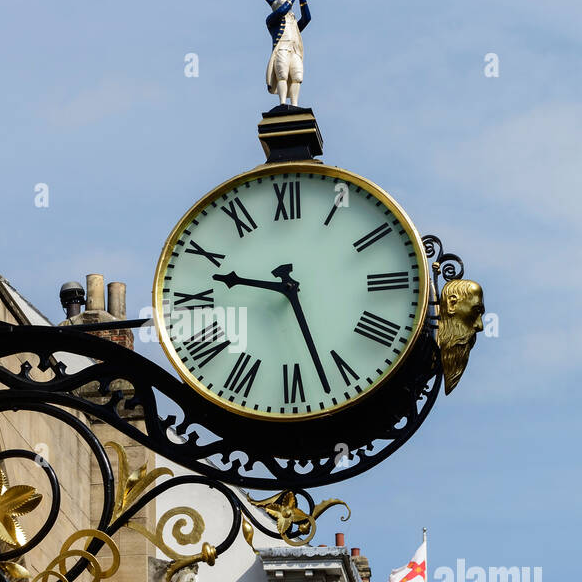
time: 9:27
